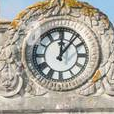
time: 12:06
